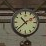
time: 10:37
